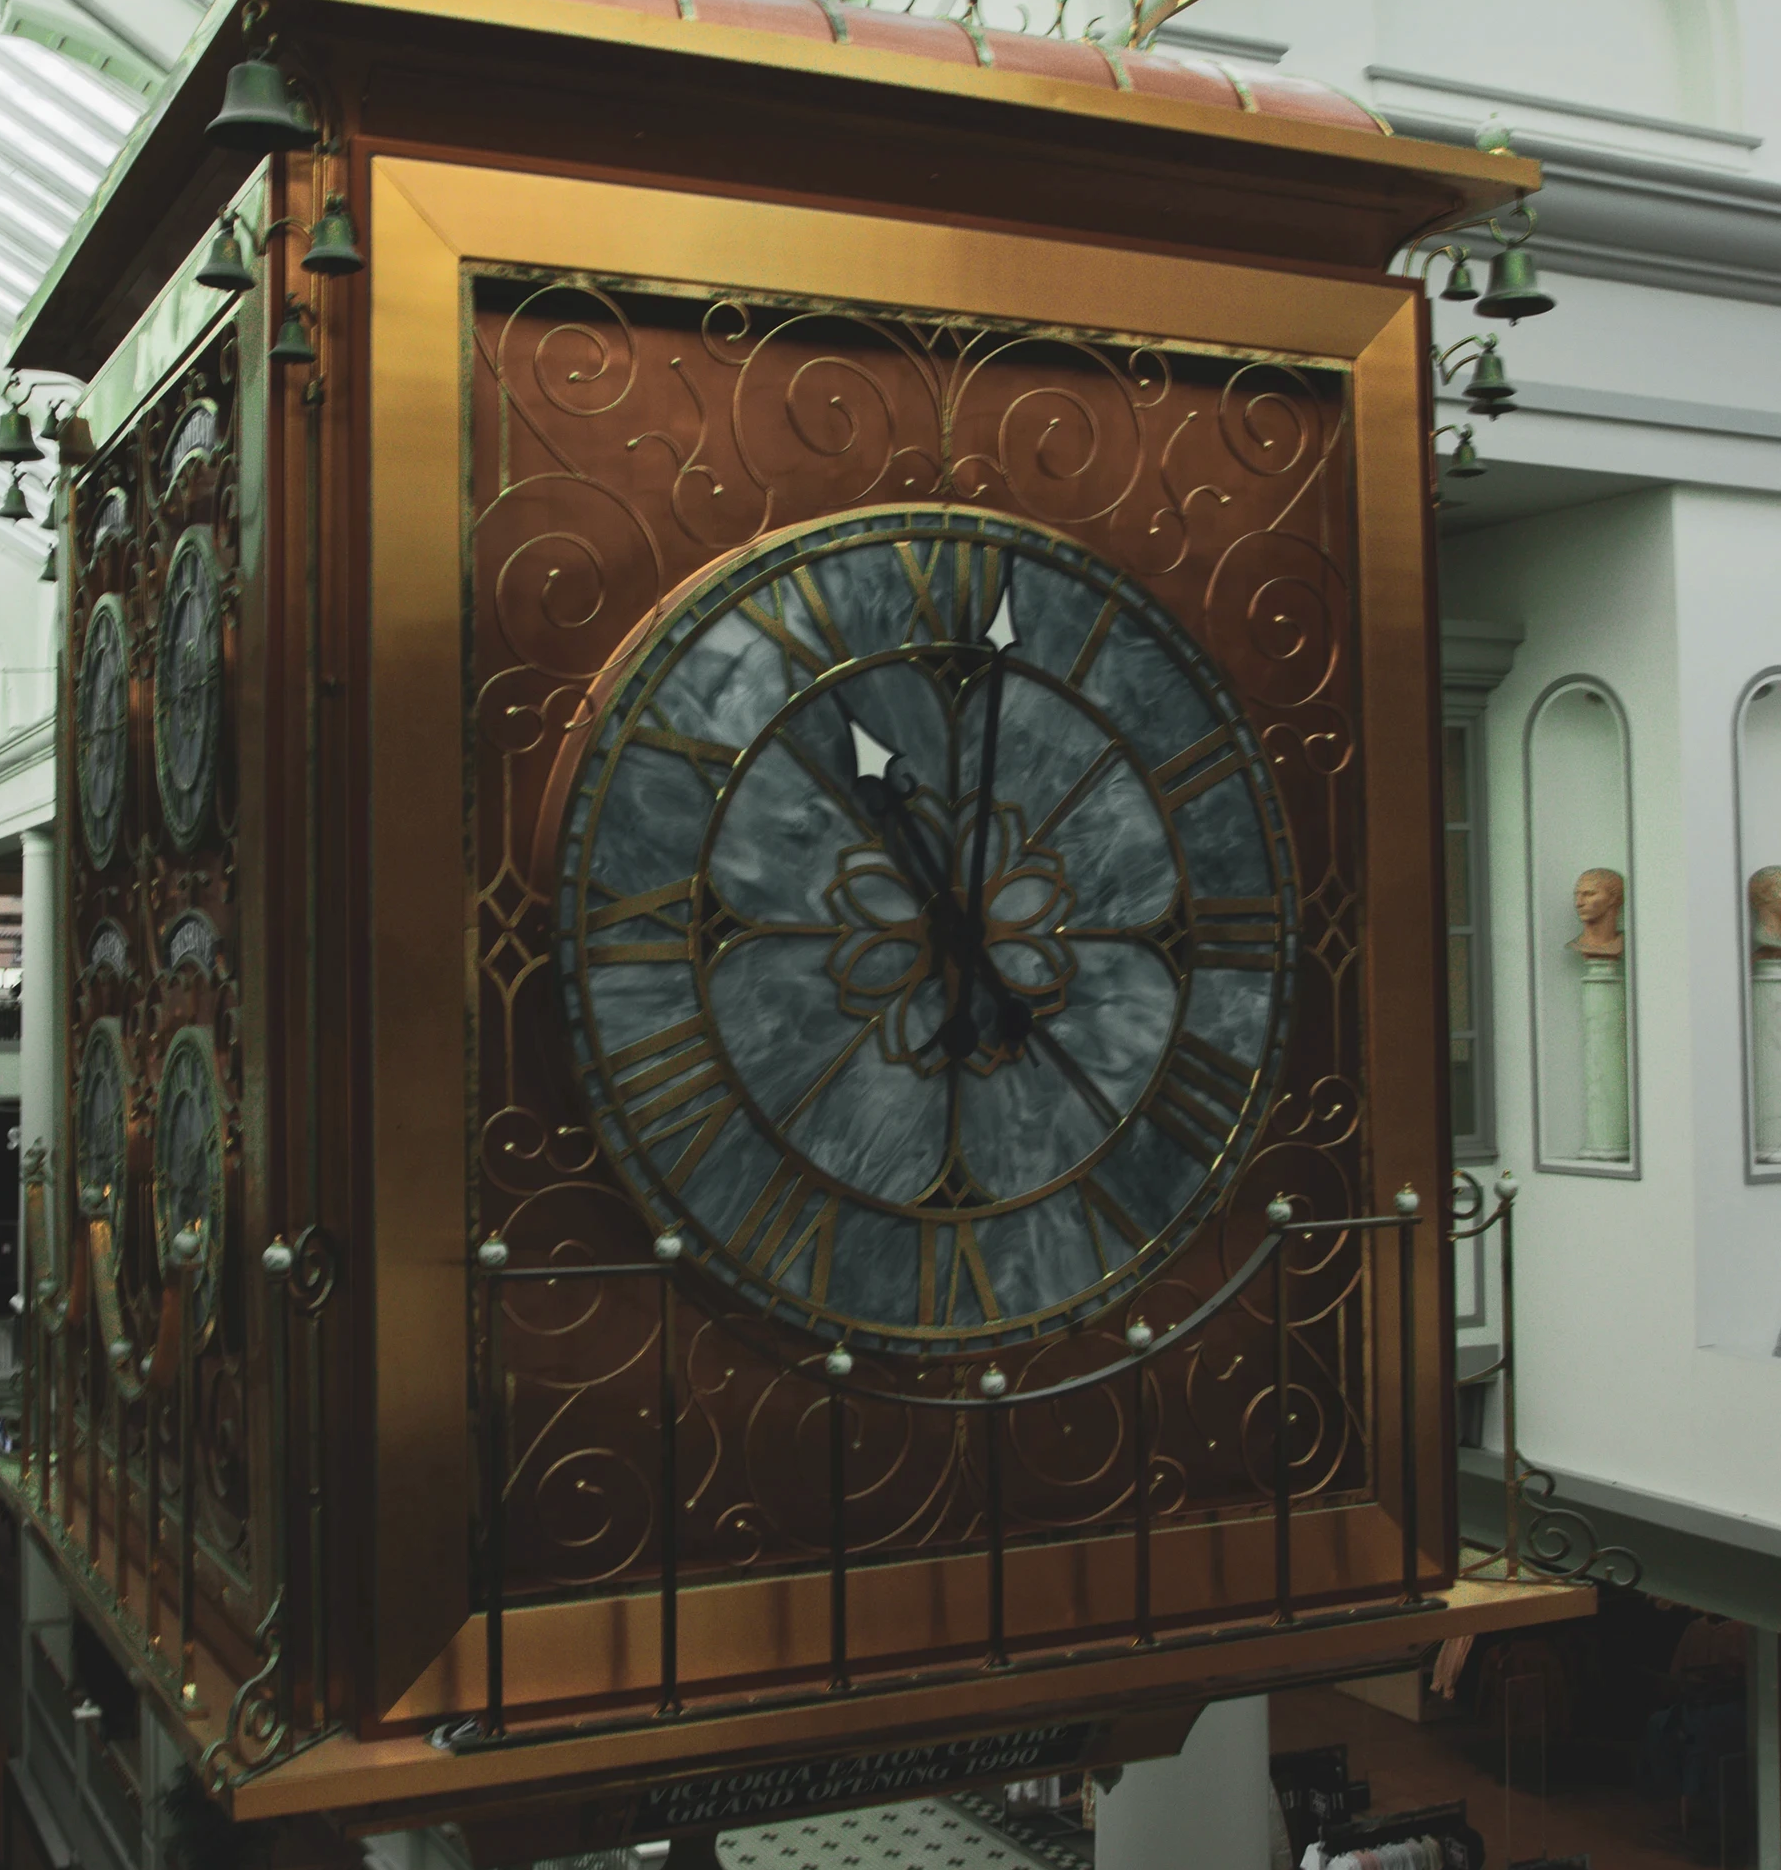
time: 11:01
